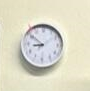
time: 8:51
